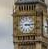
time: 3:14
